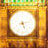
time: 5:12
